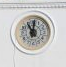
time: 11:01
